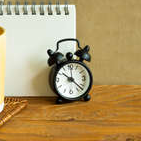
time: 10:22
